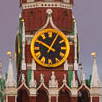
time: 12:49
